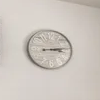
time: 3:14
